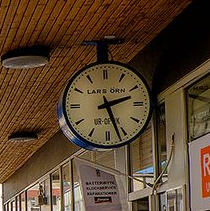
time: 2:26
